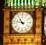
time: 10:47
